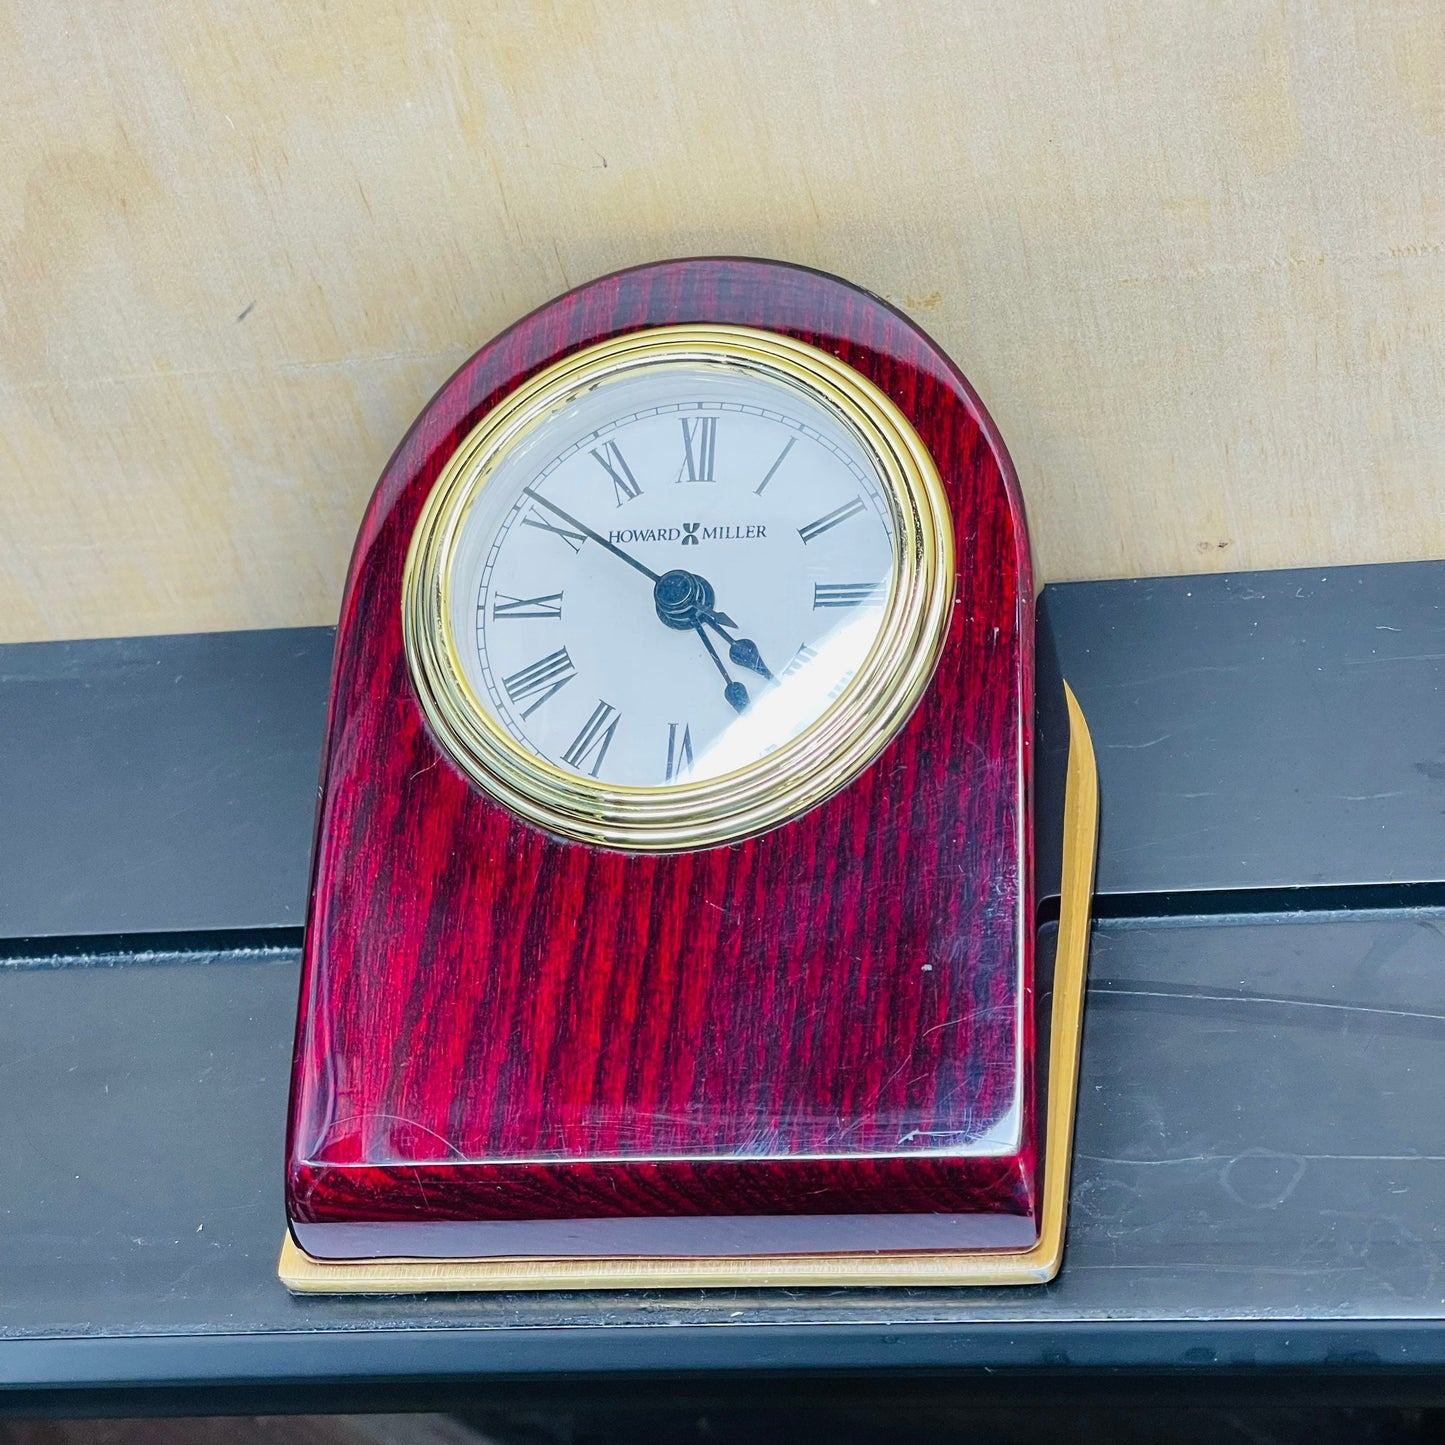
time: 4:49
